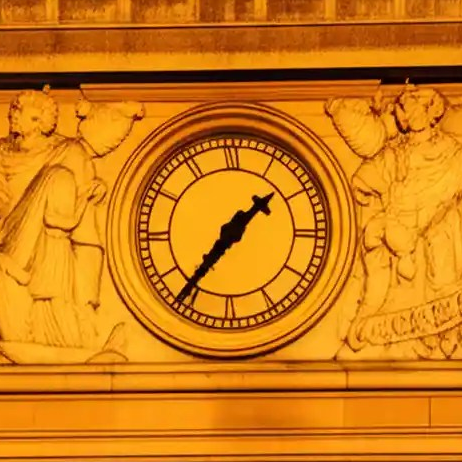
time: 1:36
